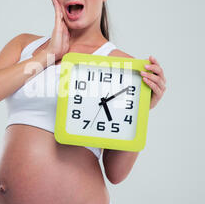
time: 5:08
